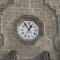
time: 12:53
